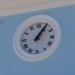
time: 1:05
